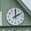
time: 2:00
